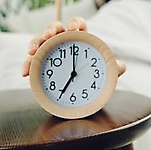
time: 7:00
